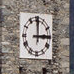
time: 3:00
